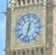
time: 12:32
